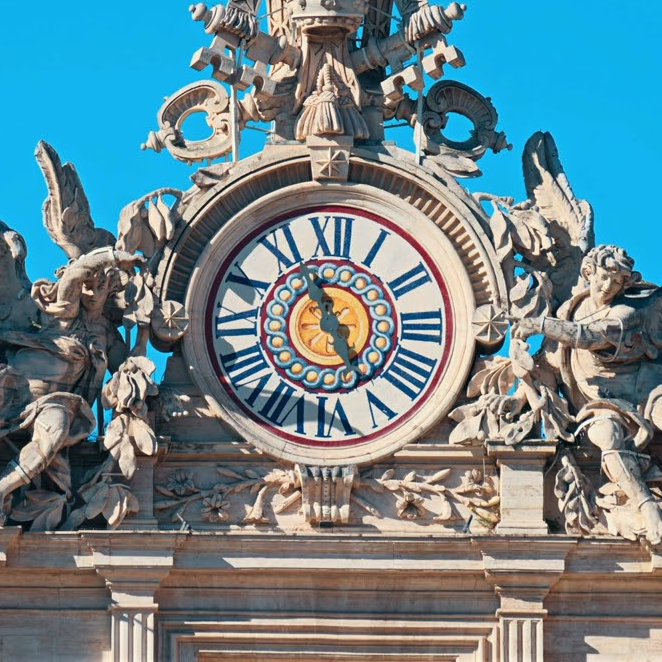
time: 4:56
